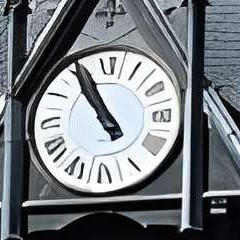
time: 10:55
